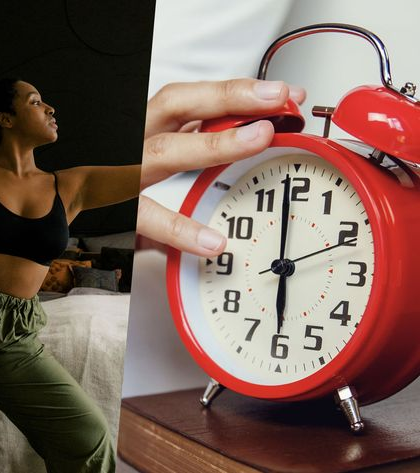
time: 5:59
